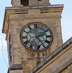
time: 2:24
